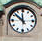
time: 11:51
